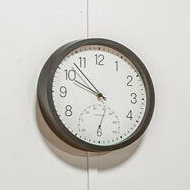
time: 9:53
